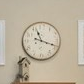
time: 11:18
